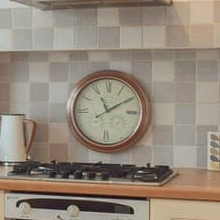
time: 11:09
